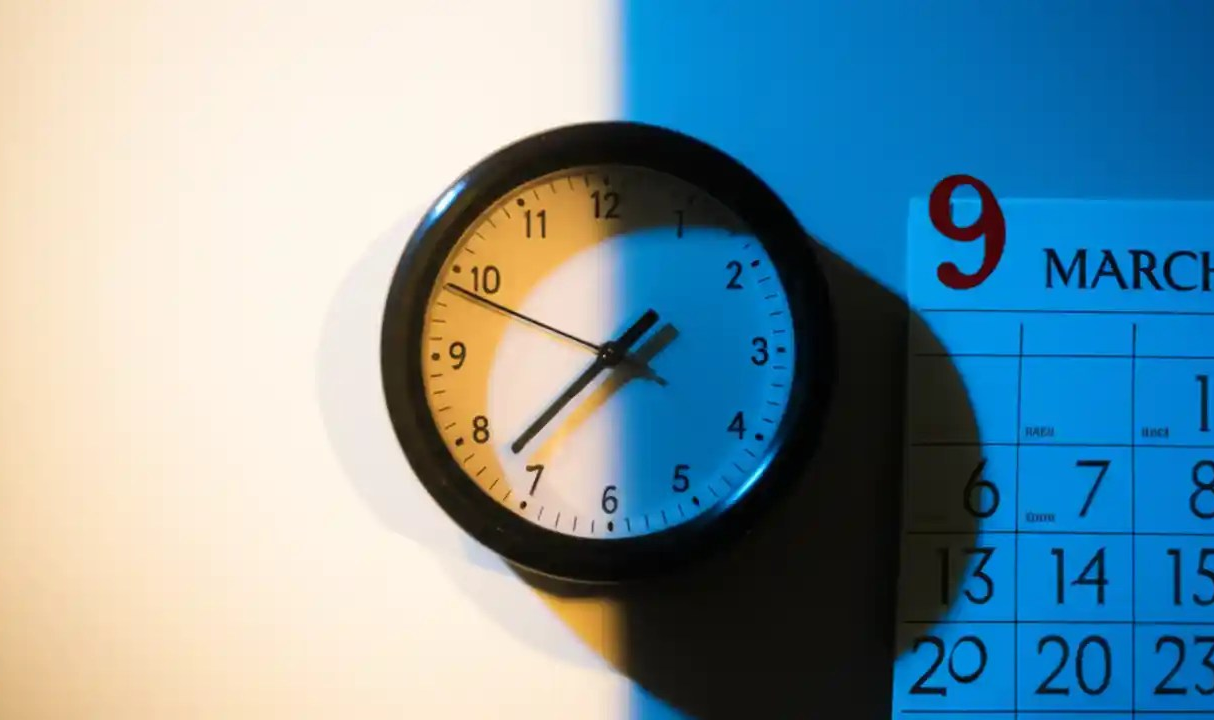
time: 1:37
